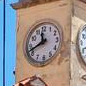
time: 11:41
